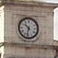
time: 10:32
